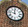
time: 11:47
